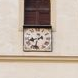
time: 8:32
